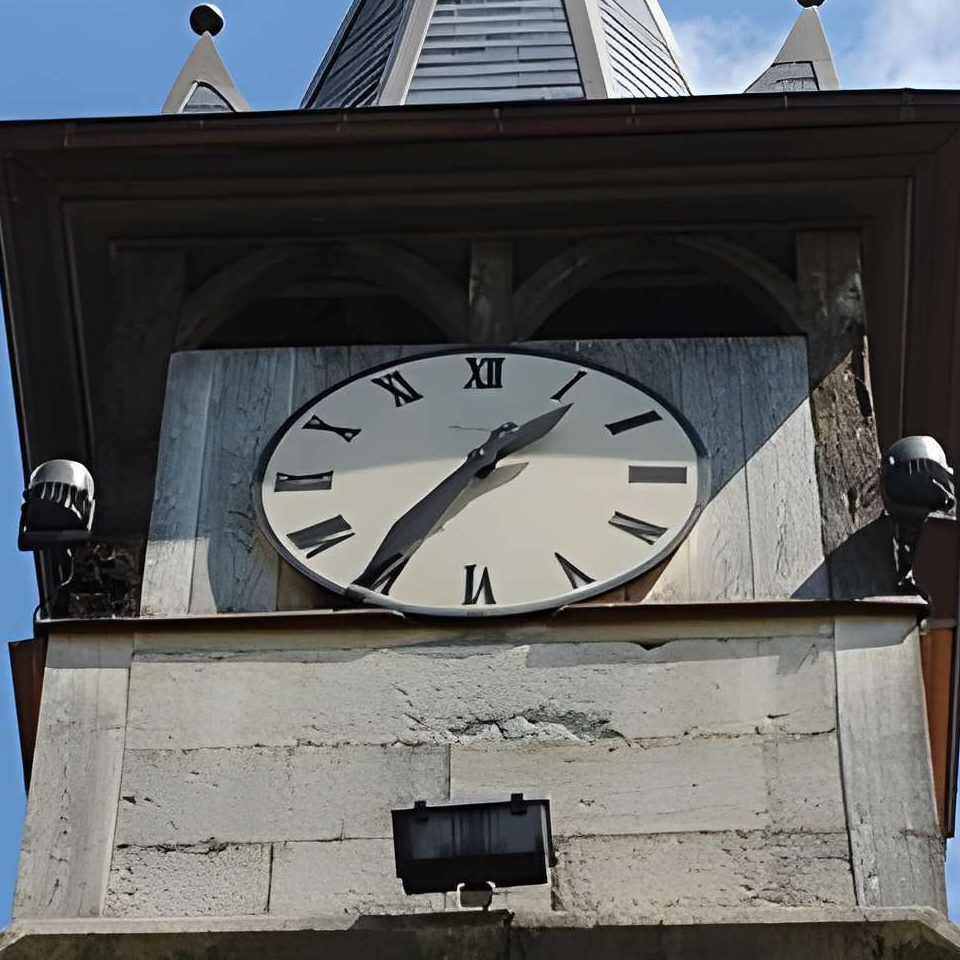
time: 1:35
